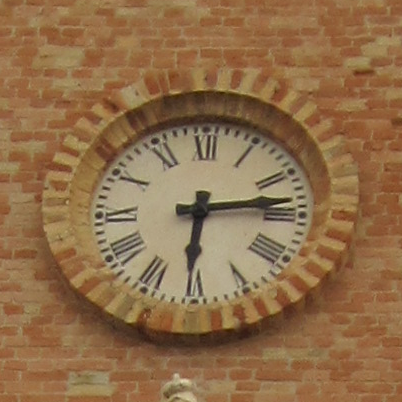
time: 6:13
